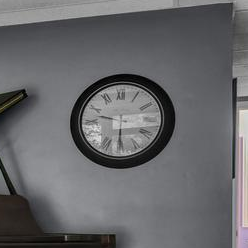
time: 9:30
